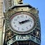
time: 2:12
